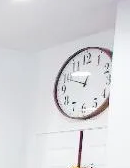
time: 12:48
